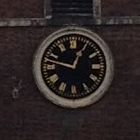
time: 12:47
